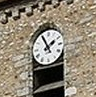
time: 1:55
